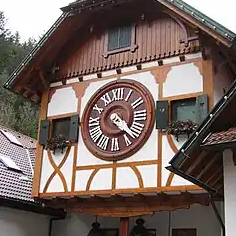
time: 4:22
